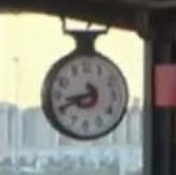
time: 8:41
